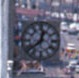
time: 12:38
